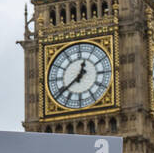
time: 12:38
